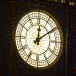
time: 12:09
